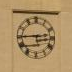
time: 2:45
